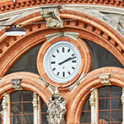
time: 2:11
